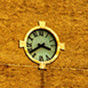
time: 3:38
